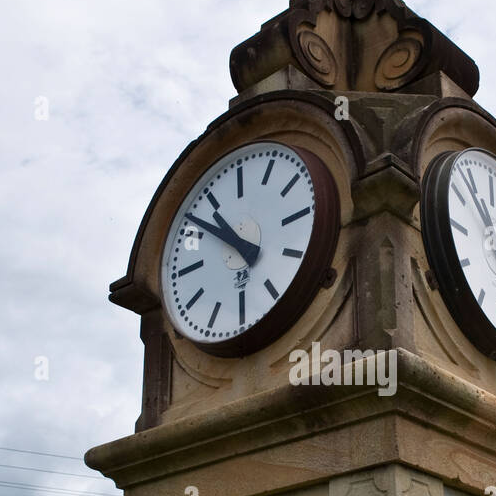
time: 10:51
